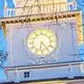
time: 6:23
